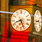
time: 8:26
